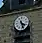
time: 4:26
